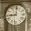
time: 9:01
